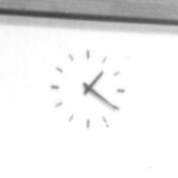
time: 1:20
